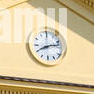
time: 8:12
